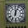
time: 12:03
